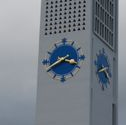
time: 3:40
